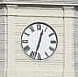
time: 12:32
